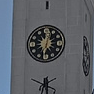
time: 12:32
